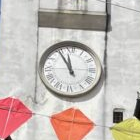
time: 11:55
